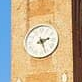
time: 2:26
